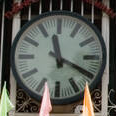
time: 11:19
